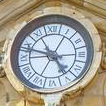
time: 4:47
